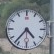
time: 4:36
